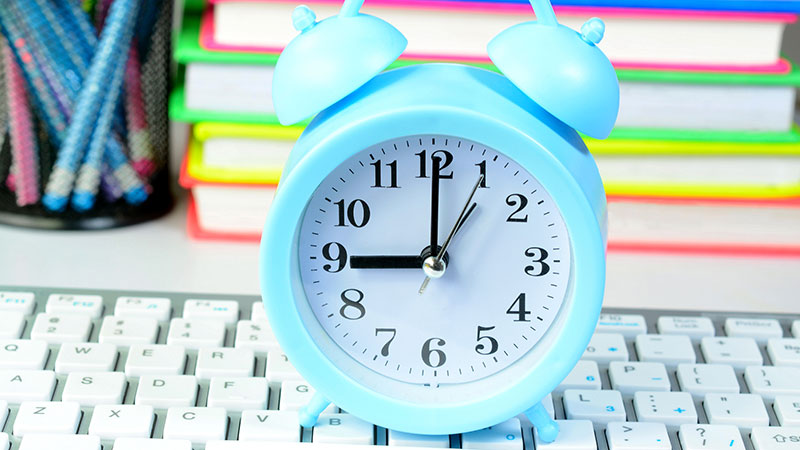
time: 9:00
